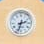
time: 2:33
